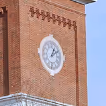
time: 1:10
